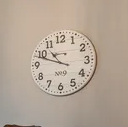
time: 10:48
